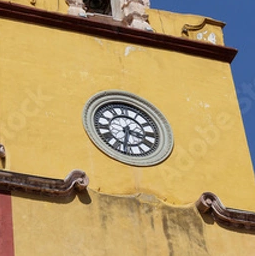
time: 3:32
